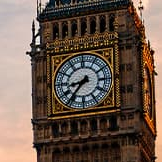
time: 8:36
